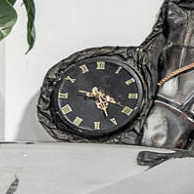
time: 5:19
